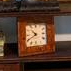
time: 10:40
